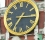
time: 7:15
